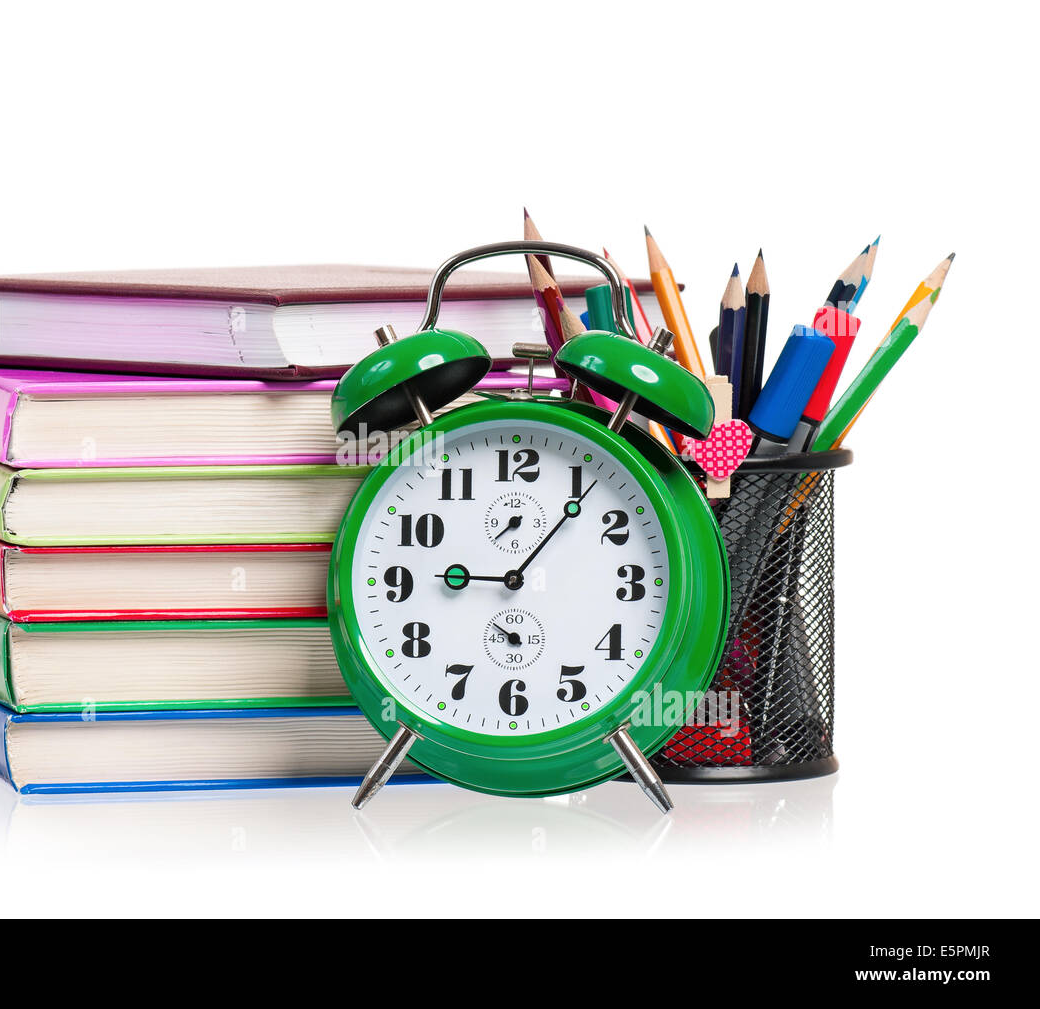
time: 9:06
